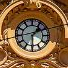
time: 1:29
